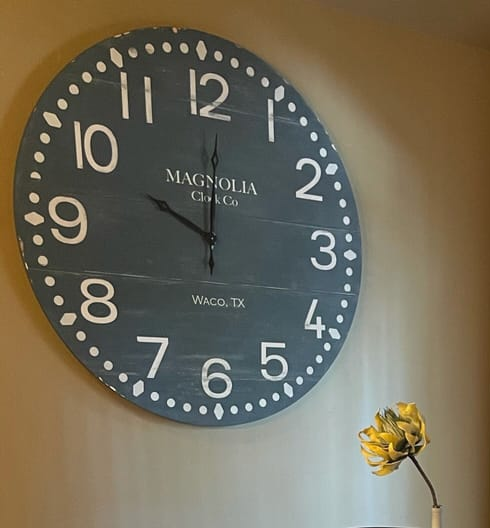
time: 10:00
